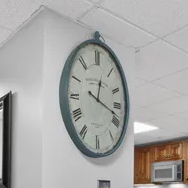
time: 12:18
